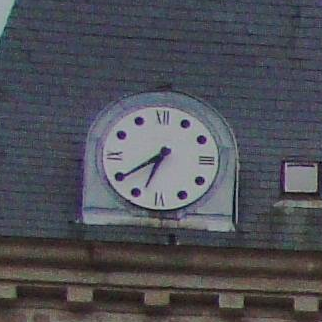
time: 6:39
